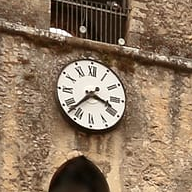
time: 3:37
